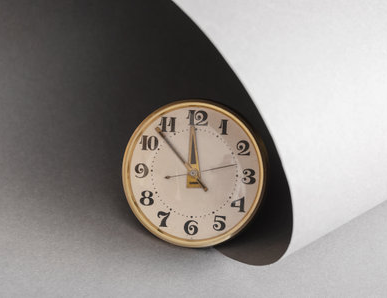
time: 11:52
